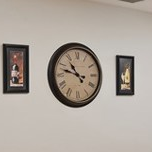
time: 10:47
